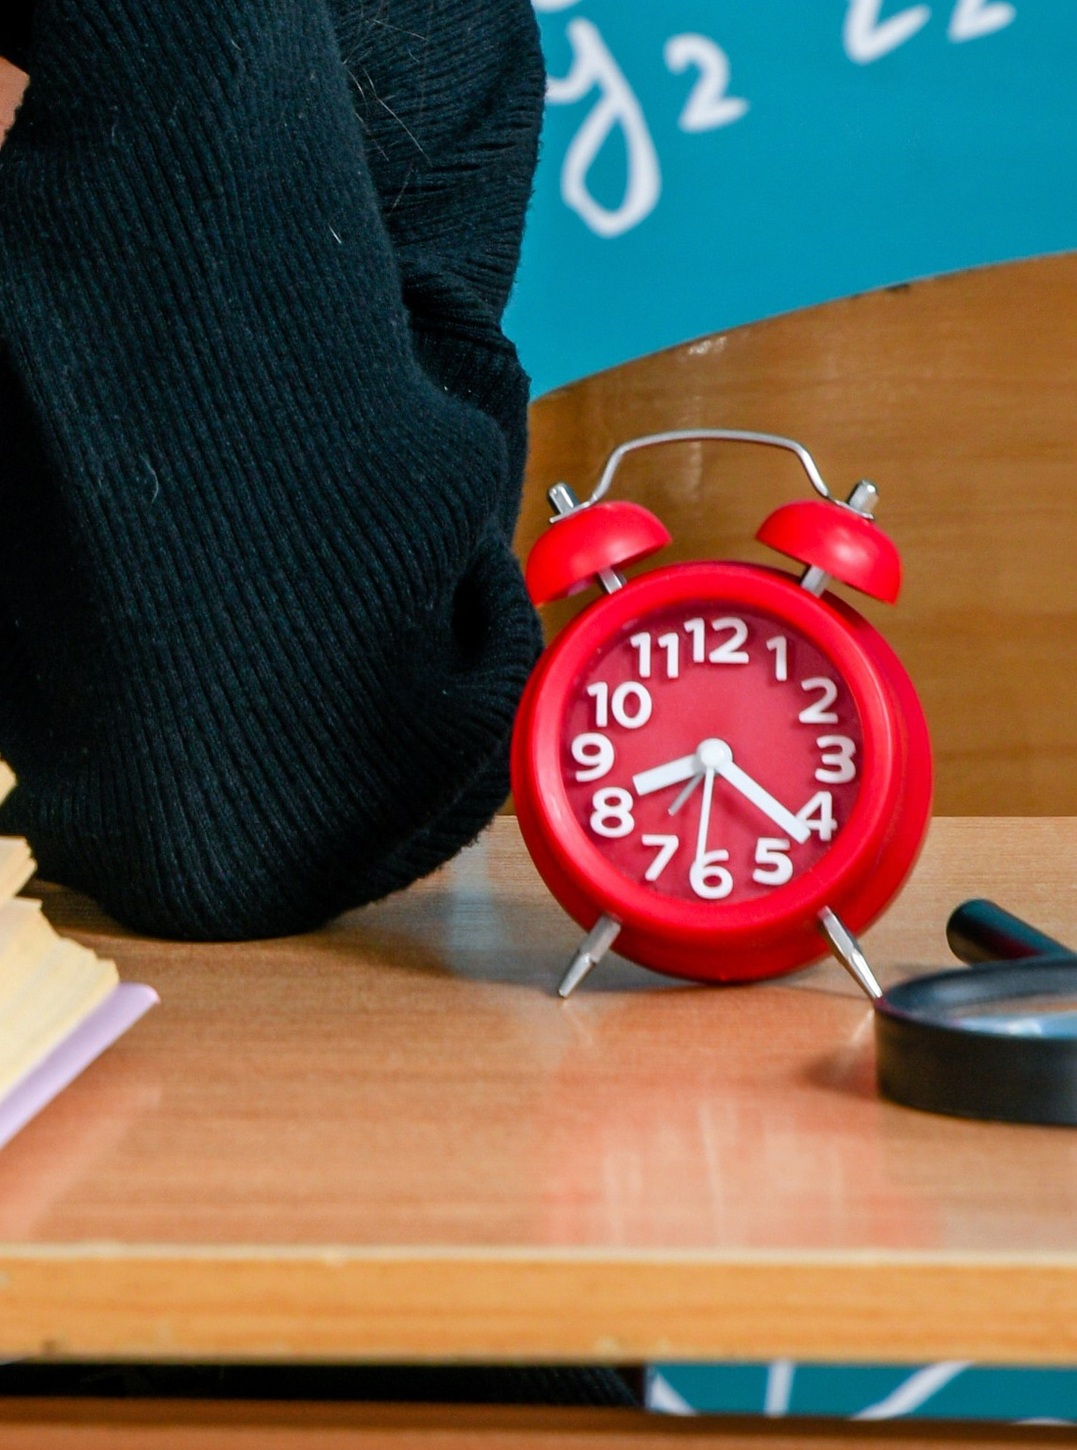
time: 8:21
